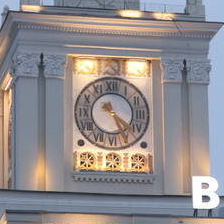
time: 4:25
